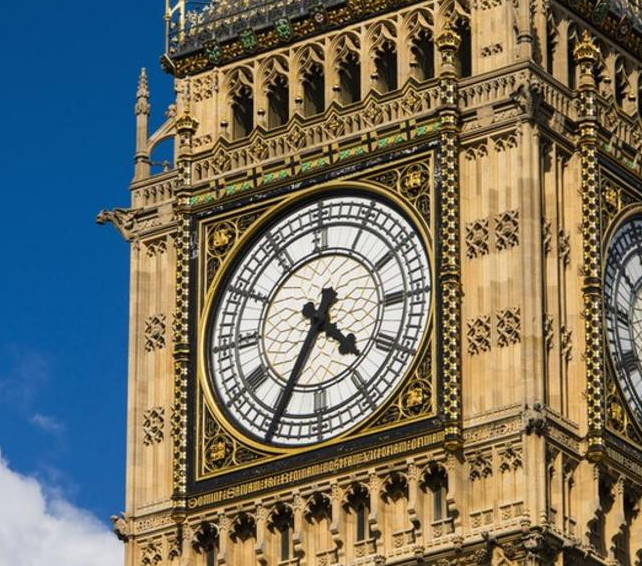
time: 4:34
